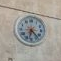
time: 6:22
